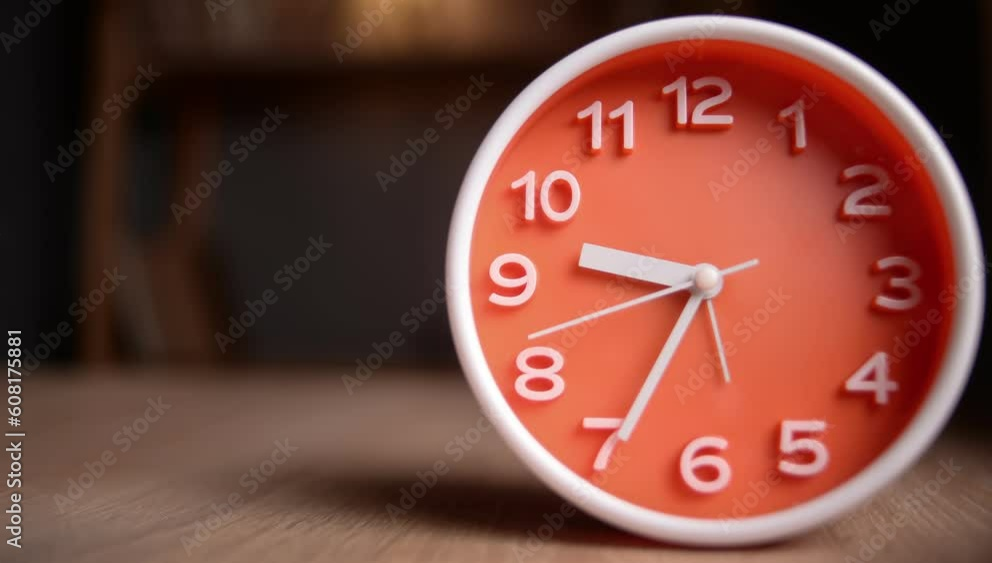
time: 9:34
